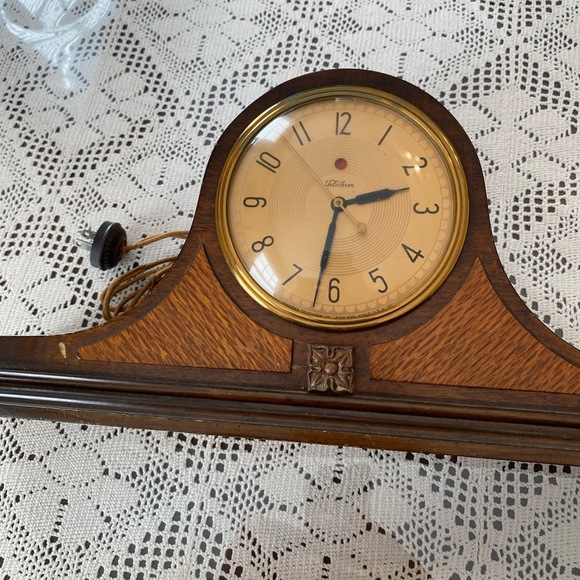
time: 2:31
